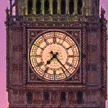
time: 7:23
